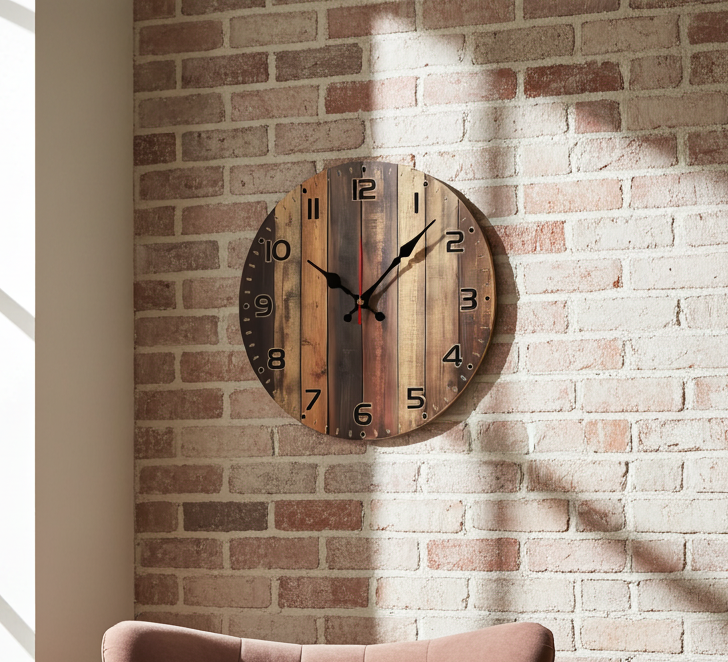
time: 10:07
